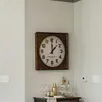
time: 12:07
